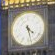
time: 4:27
